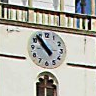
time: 10:53
